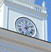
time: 2:00
